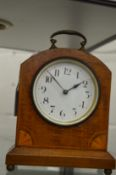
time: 1:52
